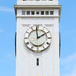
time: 1:59
